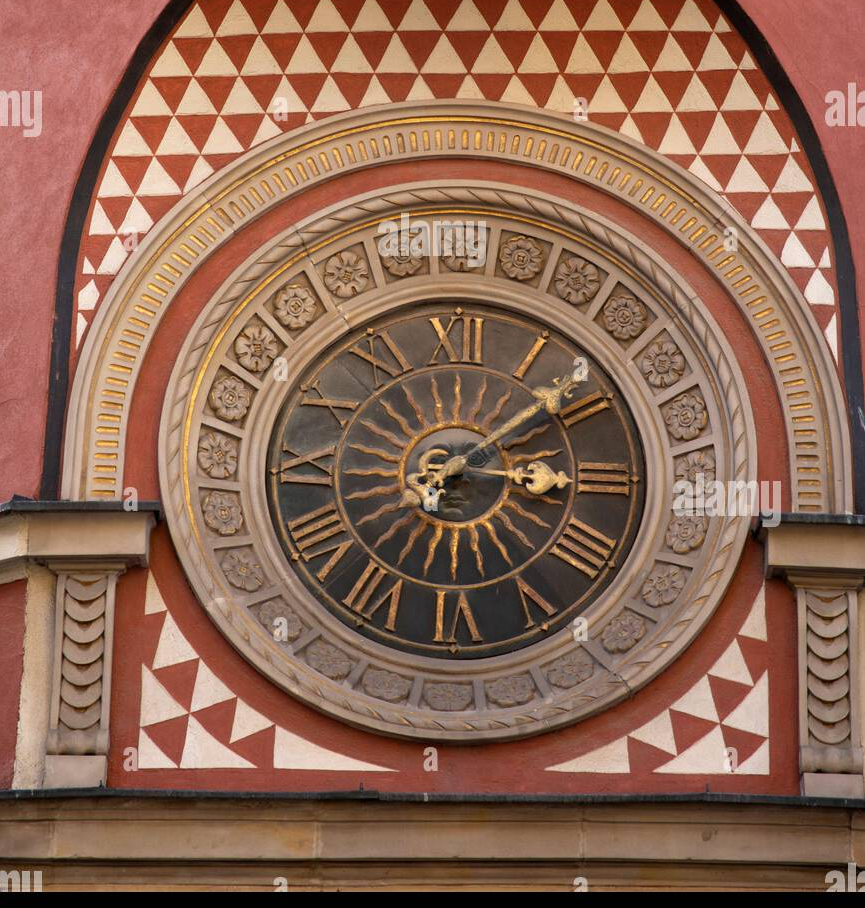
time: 3:08
